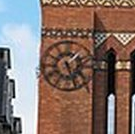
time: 1:26
